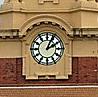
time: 2:04
